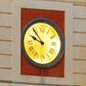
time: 9:53
